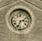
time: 2:33
